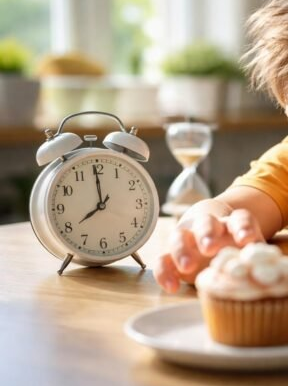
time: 7:59
